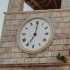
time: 7:00
